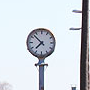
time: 7:52
